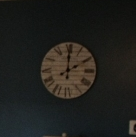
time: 2:00
